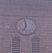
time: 6:58
